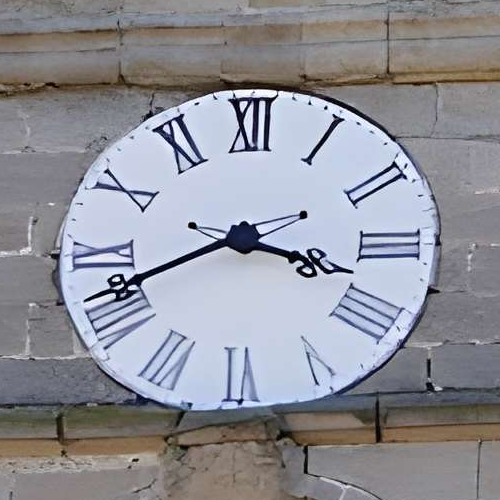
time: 3:41
